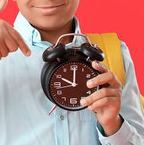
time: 10:00
